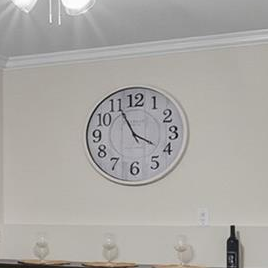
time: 3:55
